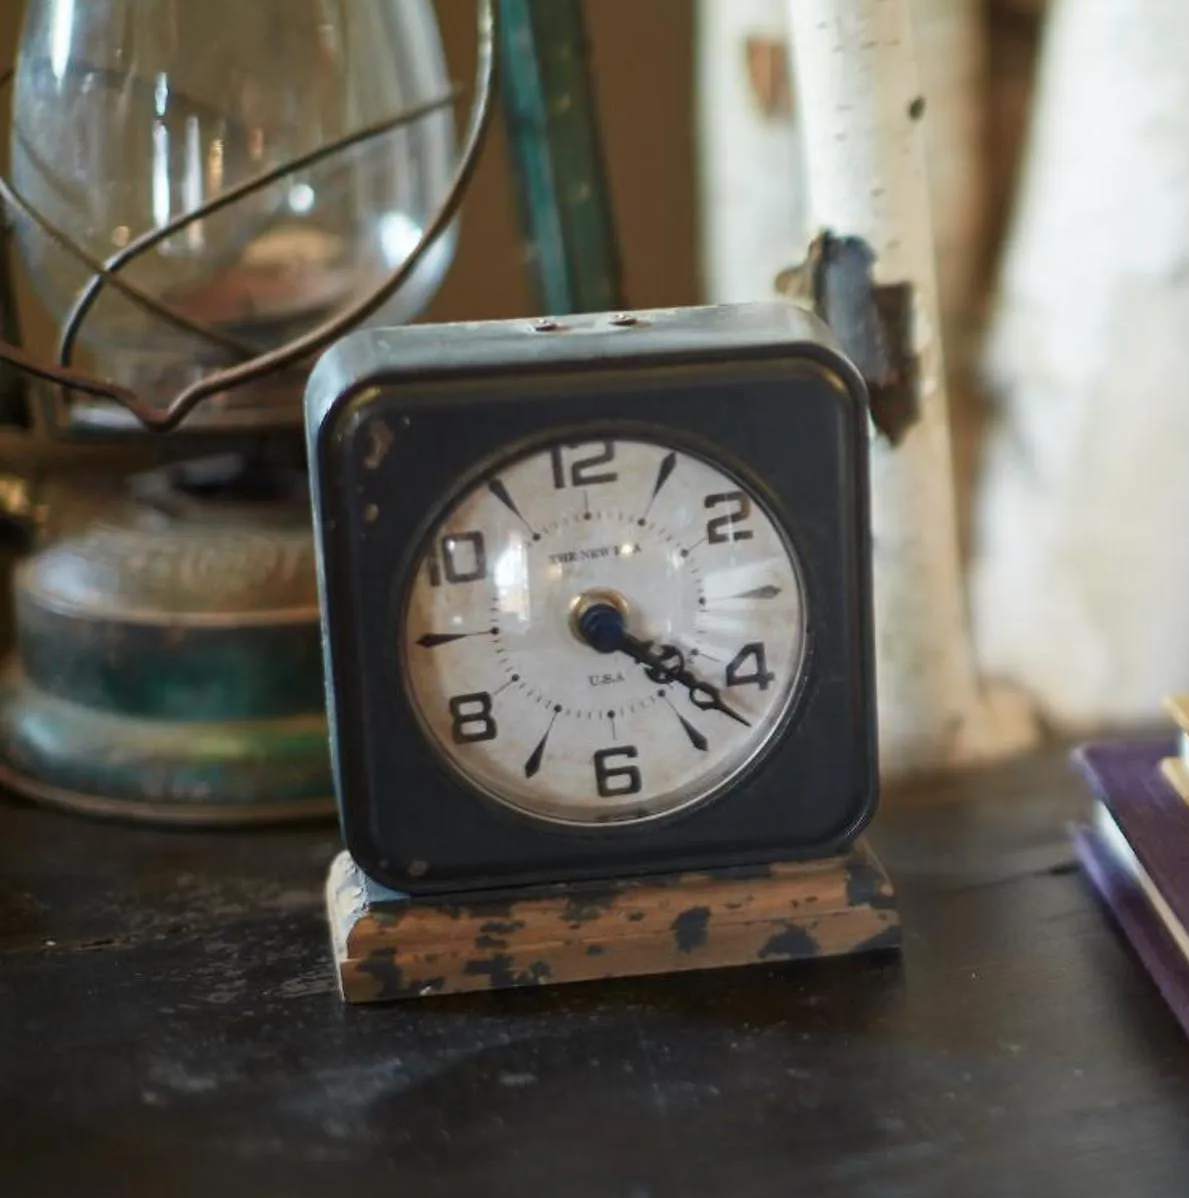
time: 4:22
